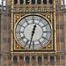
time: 12:32
